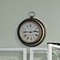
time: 2:45
